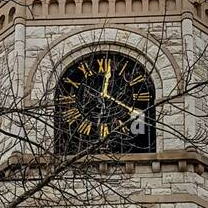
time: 12:19
